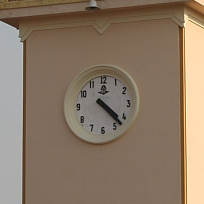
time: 4:22
